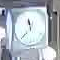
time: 11:37
